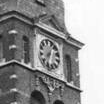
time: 7:32
